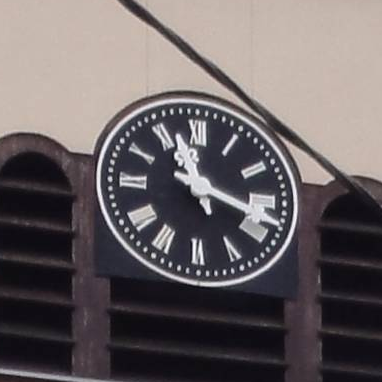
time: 11:18
